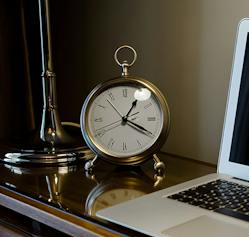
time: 4:05
